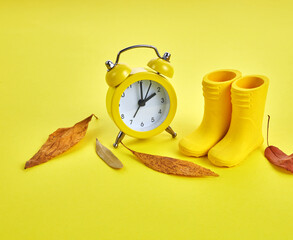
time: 2:00
